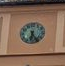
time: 6:24
